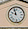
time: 9:57
